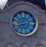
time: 2:42
